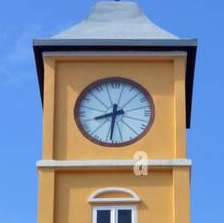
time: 8:31
